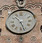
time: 10:26
